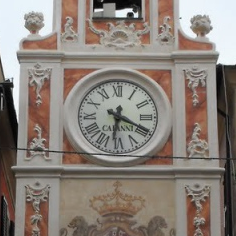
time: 6:19
